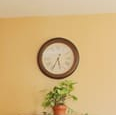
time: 5:34
